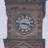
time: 3:43
